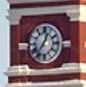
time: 12:36
